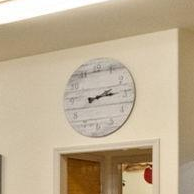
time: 2:14
